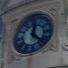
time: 12:22
